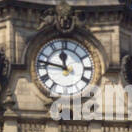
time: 11:46
